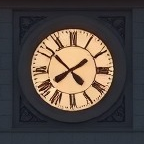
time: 7:51
